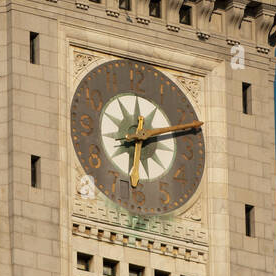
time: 12:12
